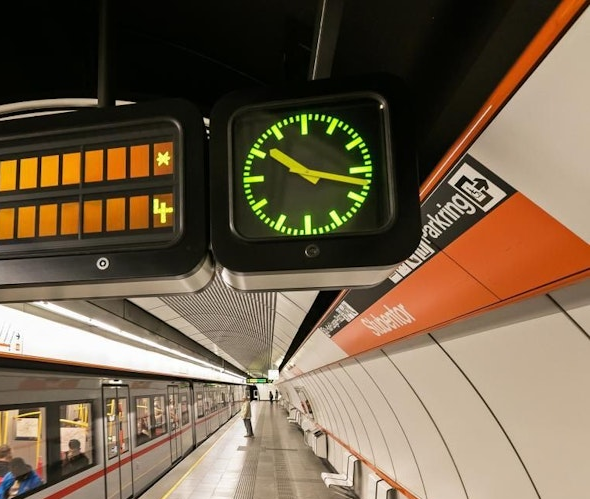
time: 10:17
